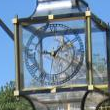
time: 1:46
